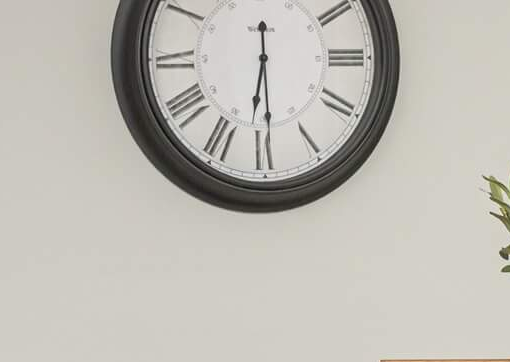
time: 6:29
